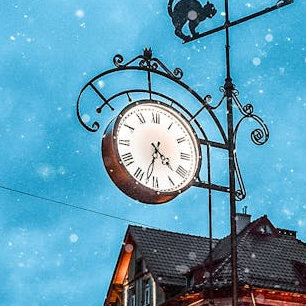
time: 4:32
